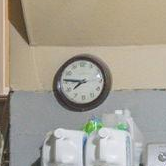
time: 7:46
